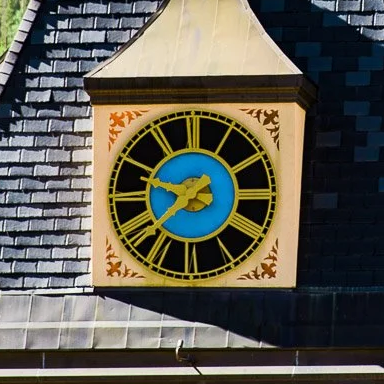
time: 9:38
